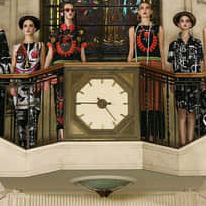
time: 4:45
